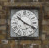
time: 10:19
